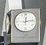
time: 12:13
